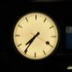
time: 7:35
